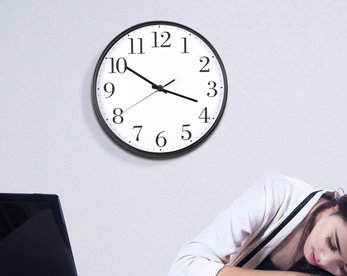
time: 3:50
